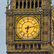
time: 6:13
